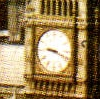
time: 9:18
